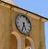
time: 5:33
